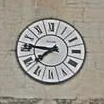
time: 7:46
